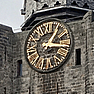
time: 1:16
